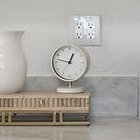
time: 12:47
